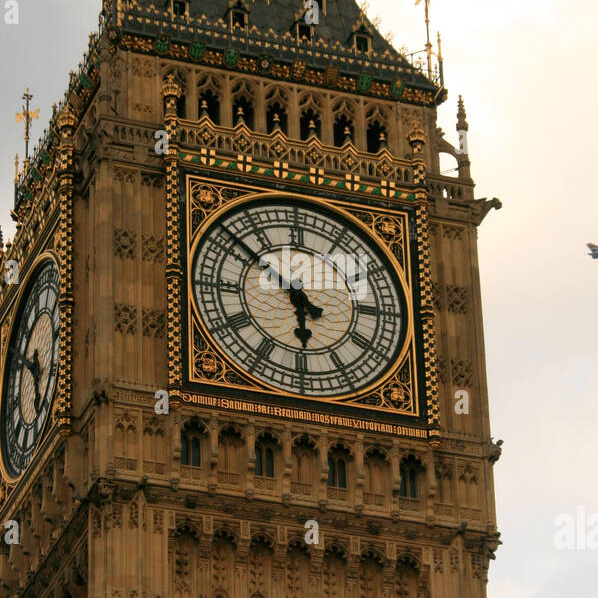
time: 5:51
